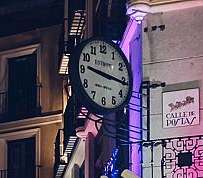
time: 9:16
